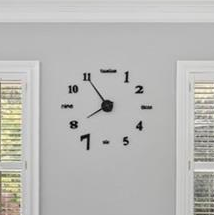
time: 7:54
